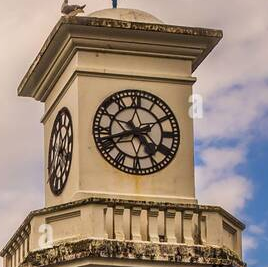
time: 4:42
